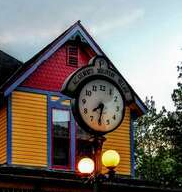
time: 7:31
